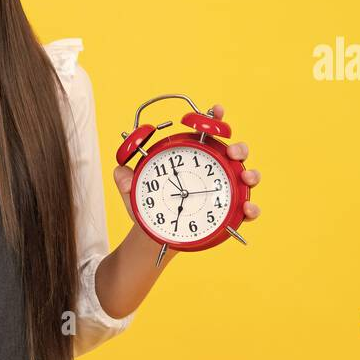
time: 6:58
